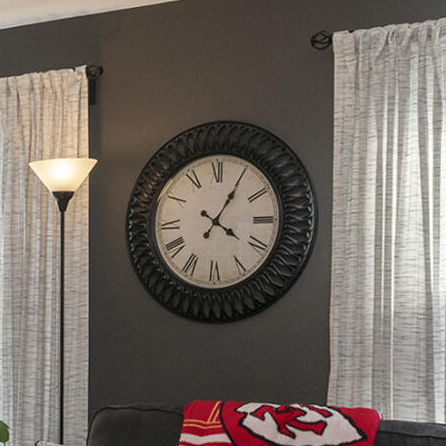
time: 4:05
